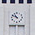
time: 10:49
